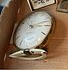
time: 3:12
